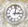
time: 3:02
